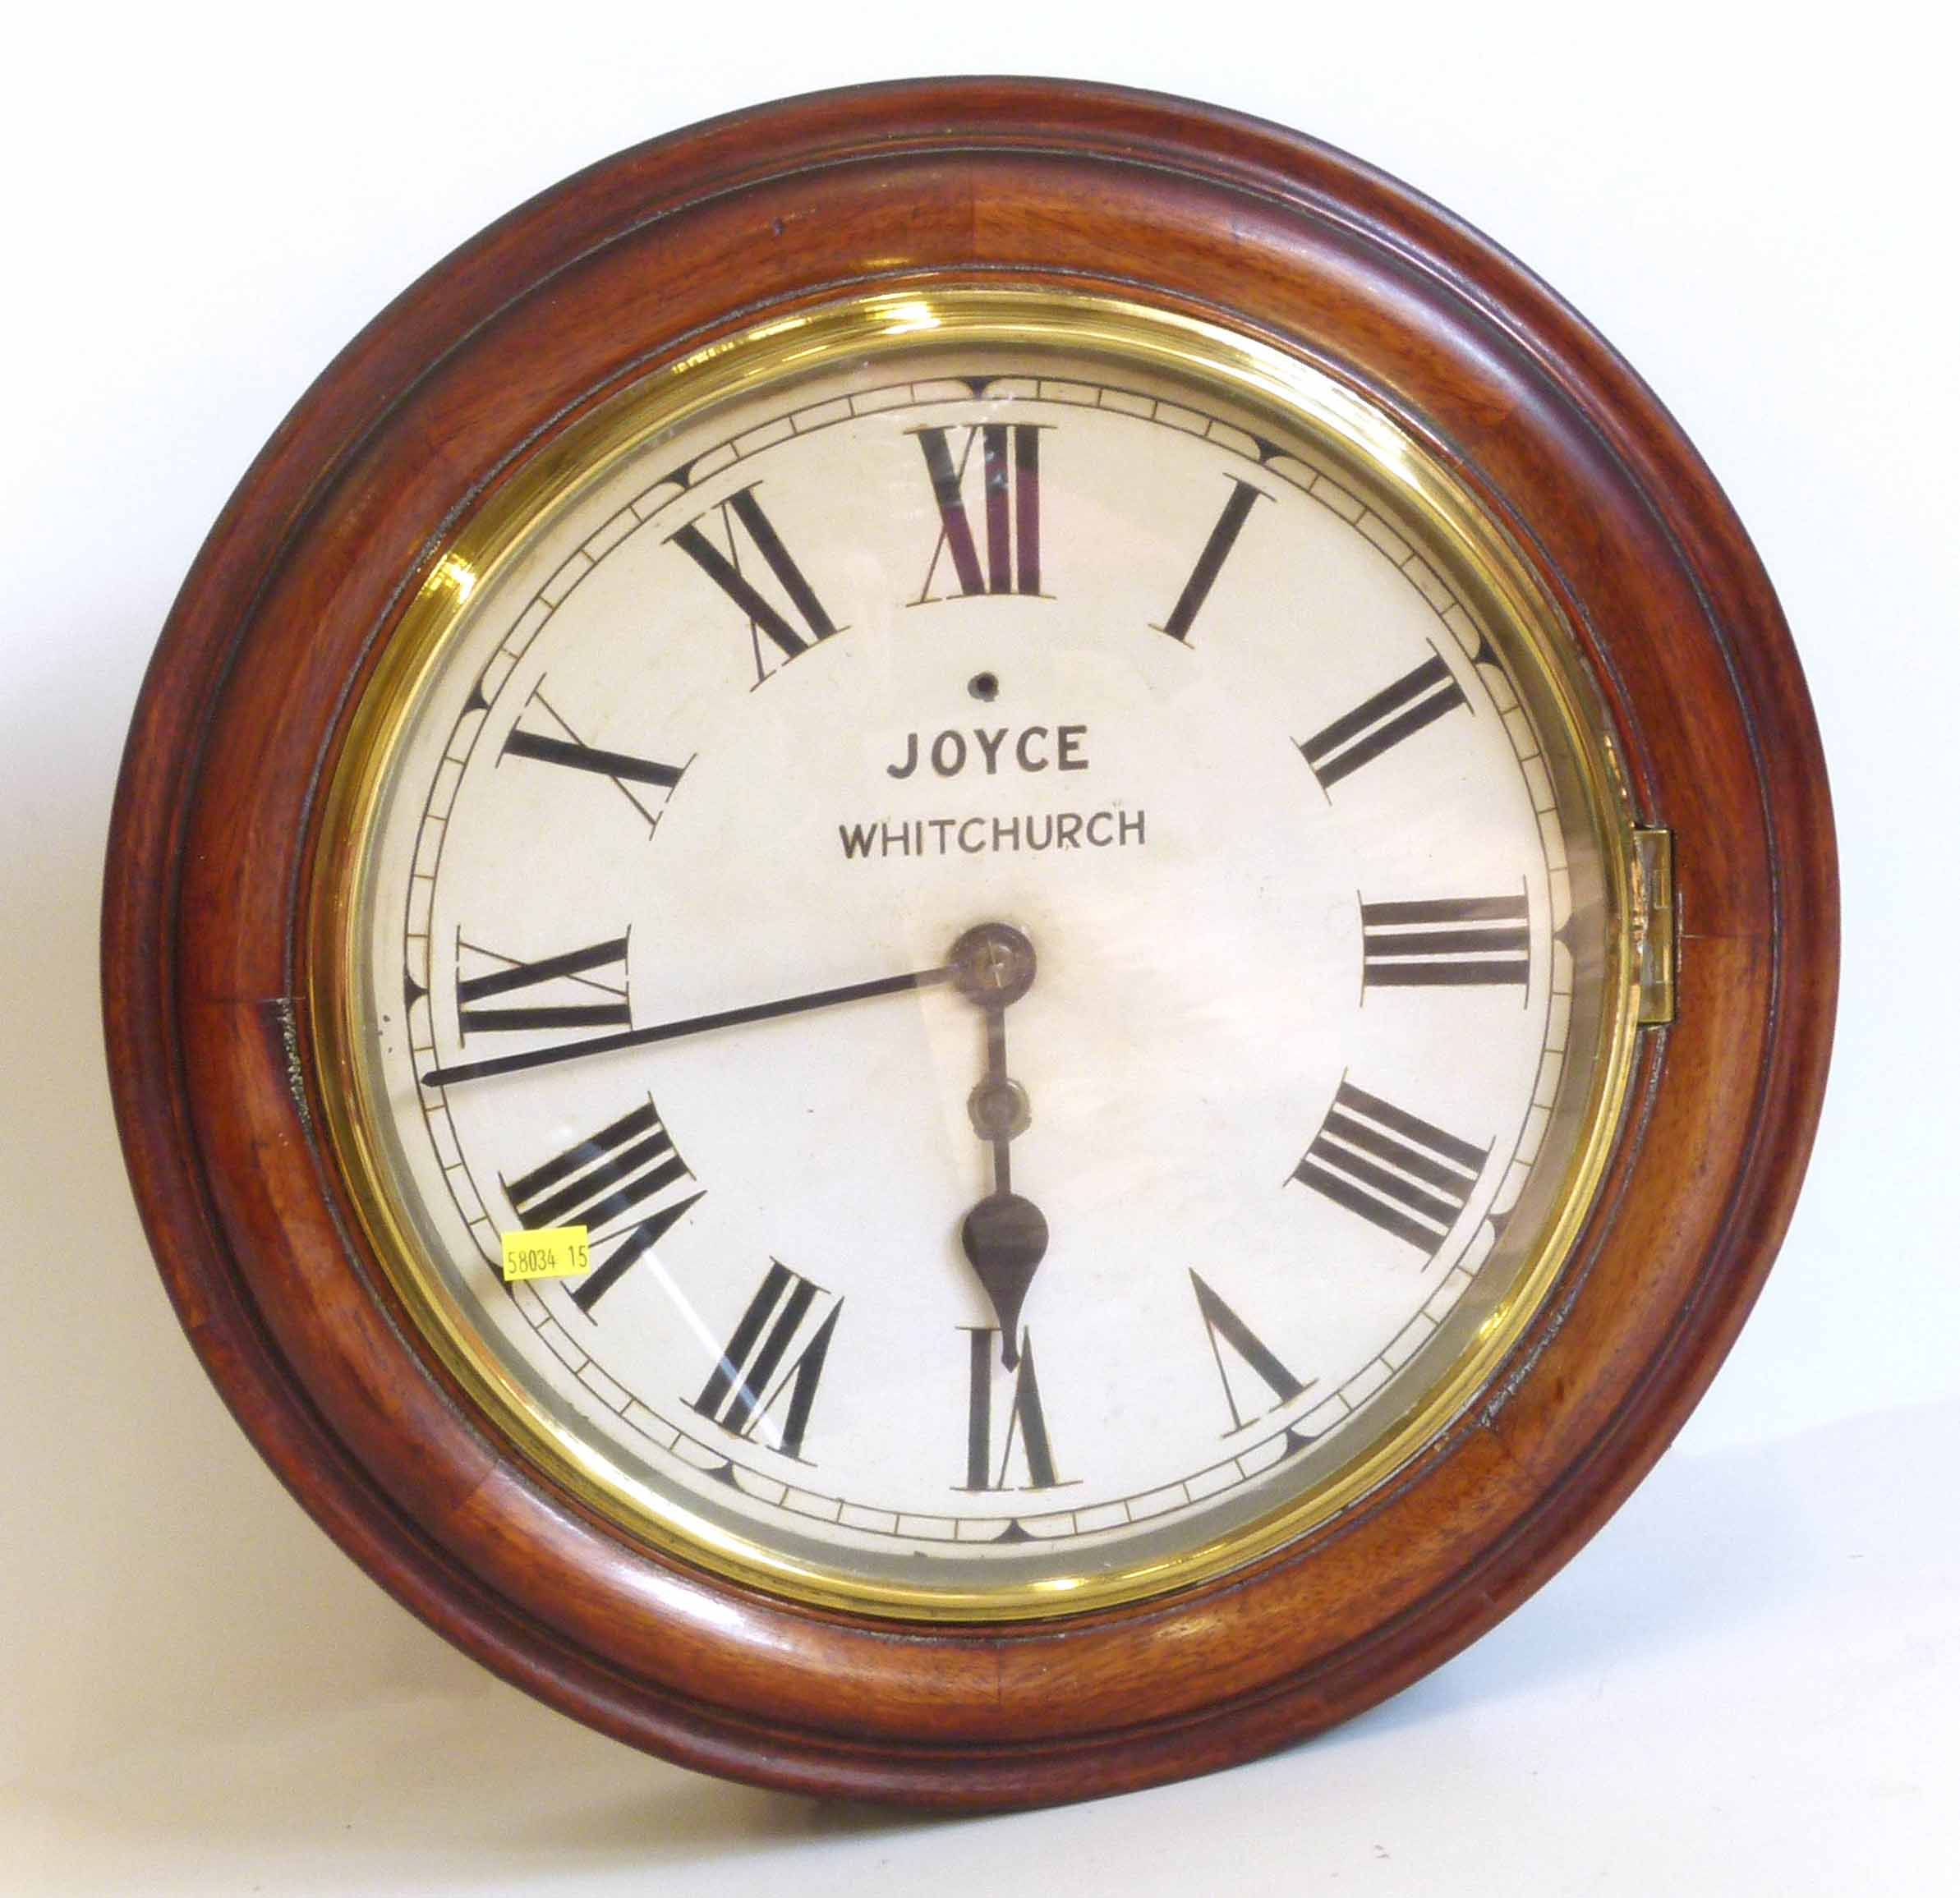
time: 5:43
